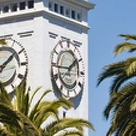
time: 1:44
